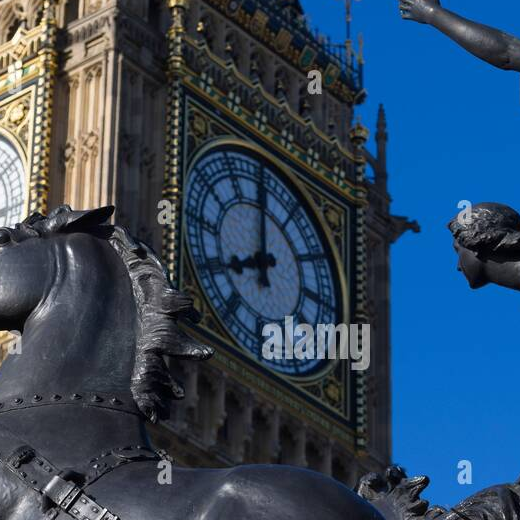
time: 7:59
